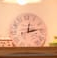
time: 12:13
